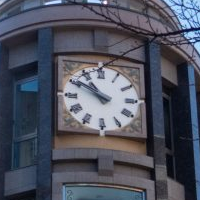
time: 10:50
